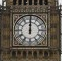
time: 12:00
